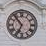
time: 6:53
